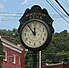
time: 11:53
